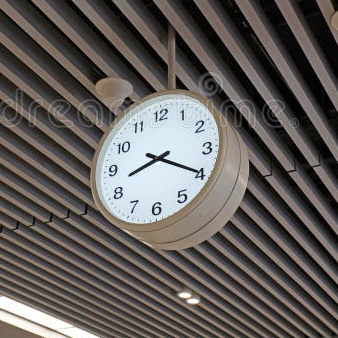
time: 8:19
